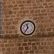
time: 11:36
